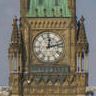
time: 12:12
